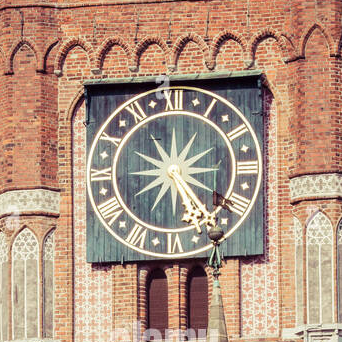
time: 1:24
